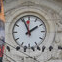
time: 1:56
